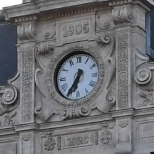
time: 6:35
